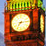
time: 7:13
